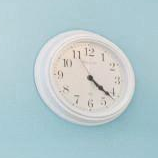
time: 4:21
